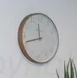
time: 11:42
